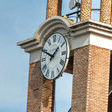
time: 1:49
